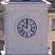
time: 10:00
